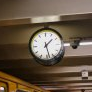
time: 1:28
